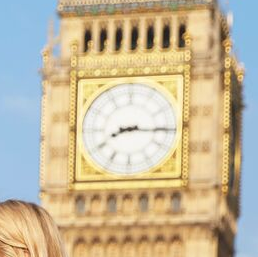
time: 8:15
